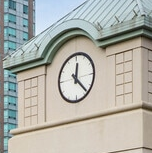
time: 12:22
